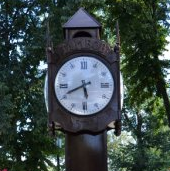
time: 5:41
